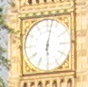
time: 6:02
